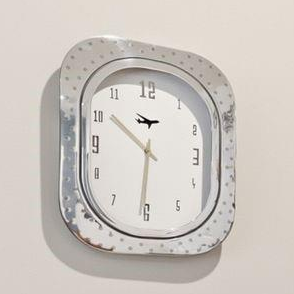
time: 10:31
